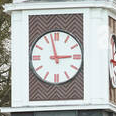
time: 2:57
